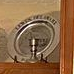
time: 3:28
